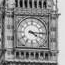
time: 4:15
